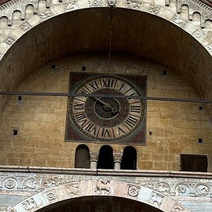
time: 9:50
